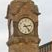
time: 2:23
